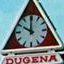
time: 10:00
